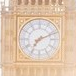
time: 7:11
